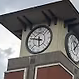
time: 5:47
